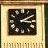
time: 3:09
